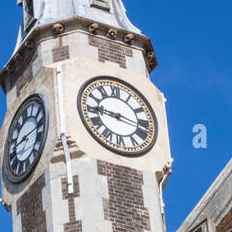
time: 9:17
